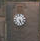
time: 5:26
